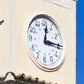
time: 12:14
